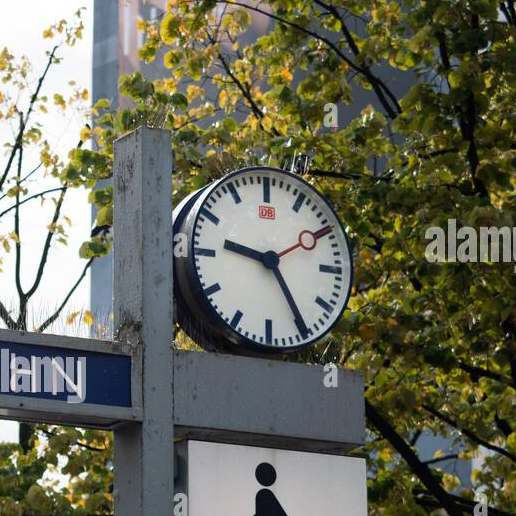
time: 9:24
